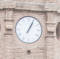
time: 1:04
